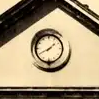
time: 1:40
